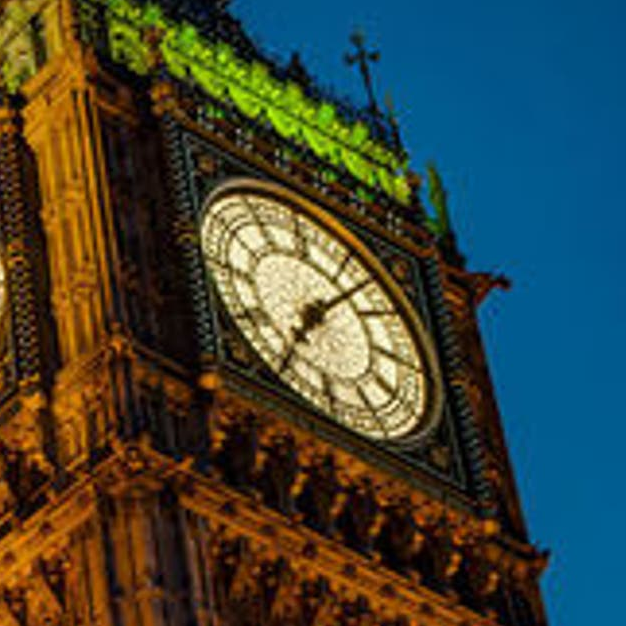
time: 7:07
